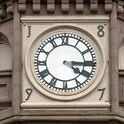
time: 3:20
